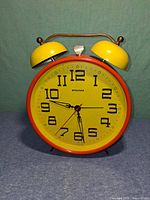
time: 5:47
